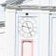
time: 9:27
